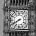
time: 7:40
